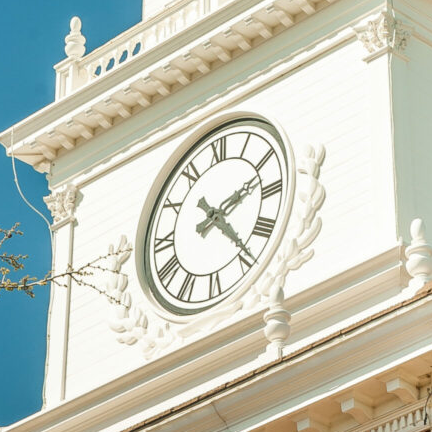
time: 2:23
